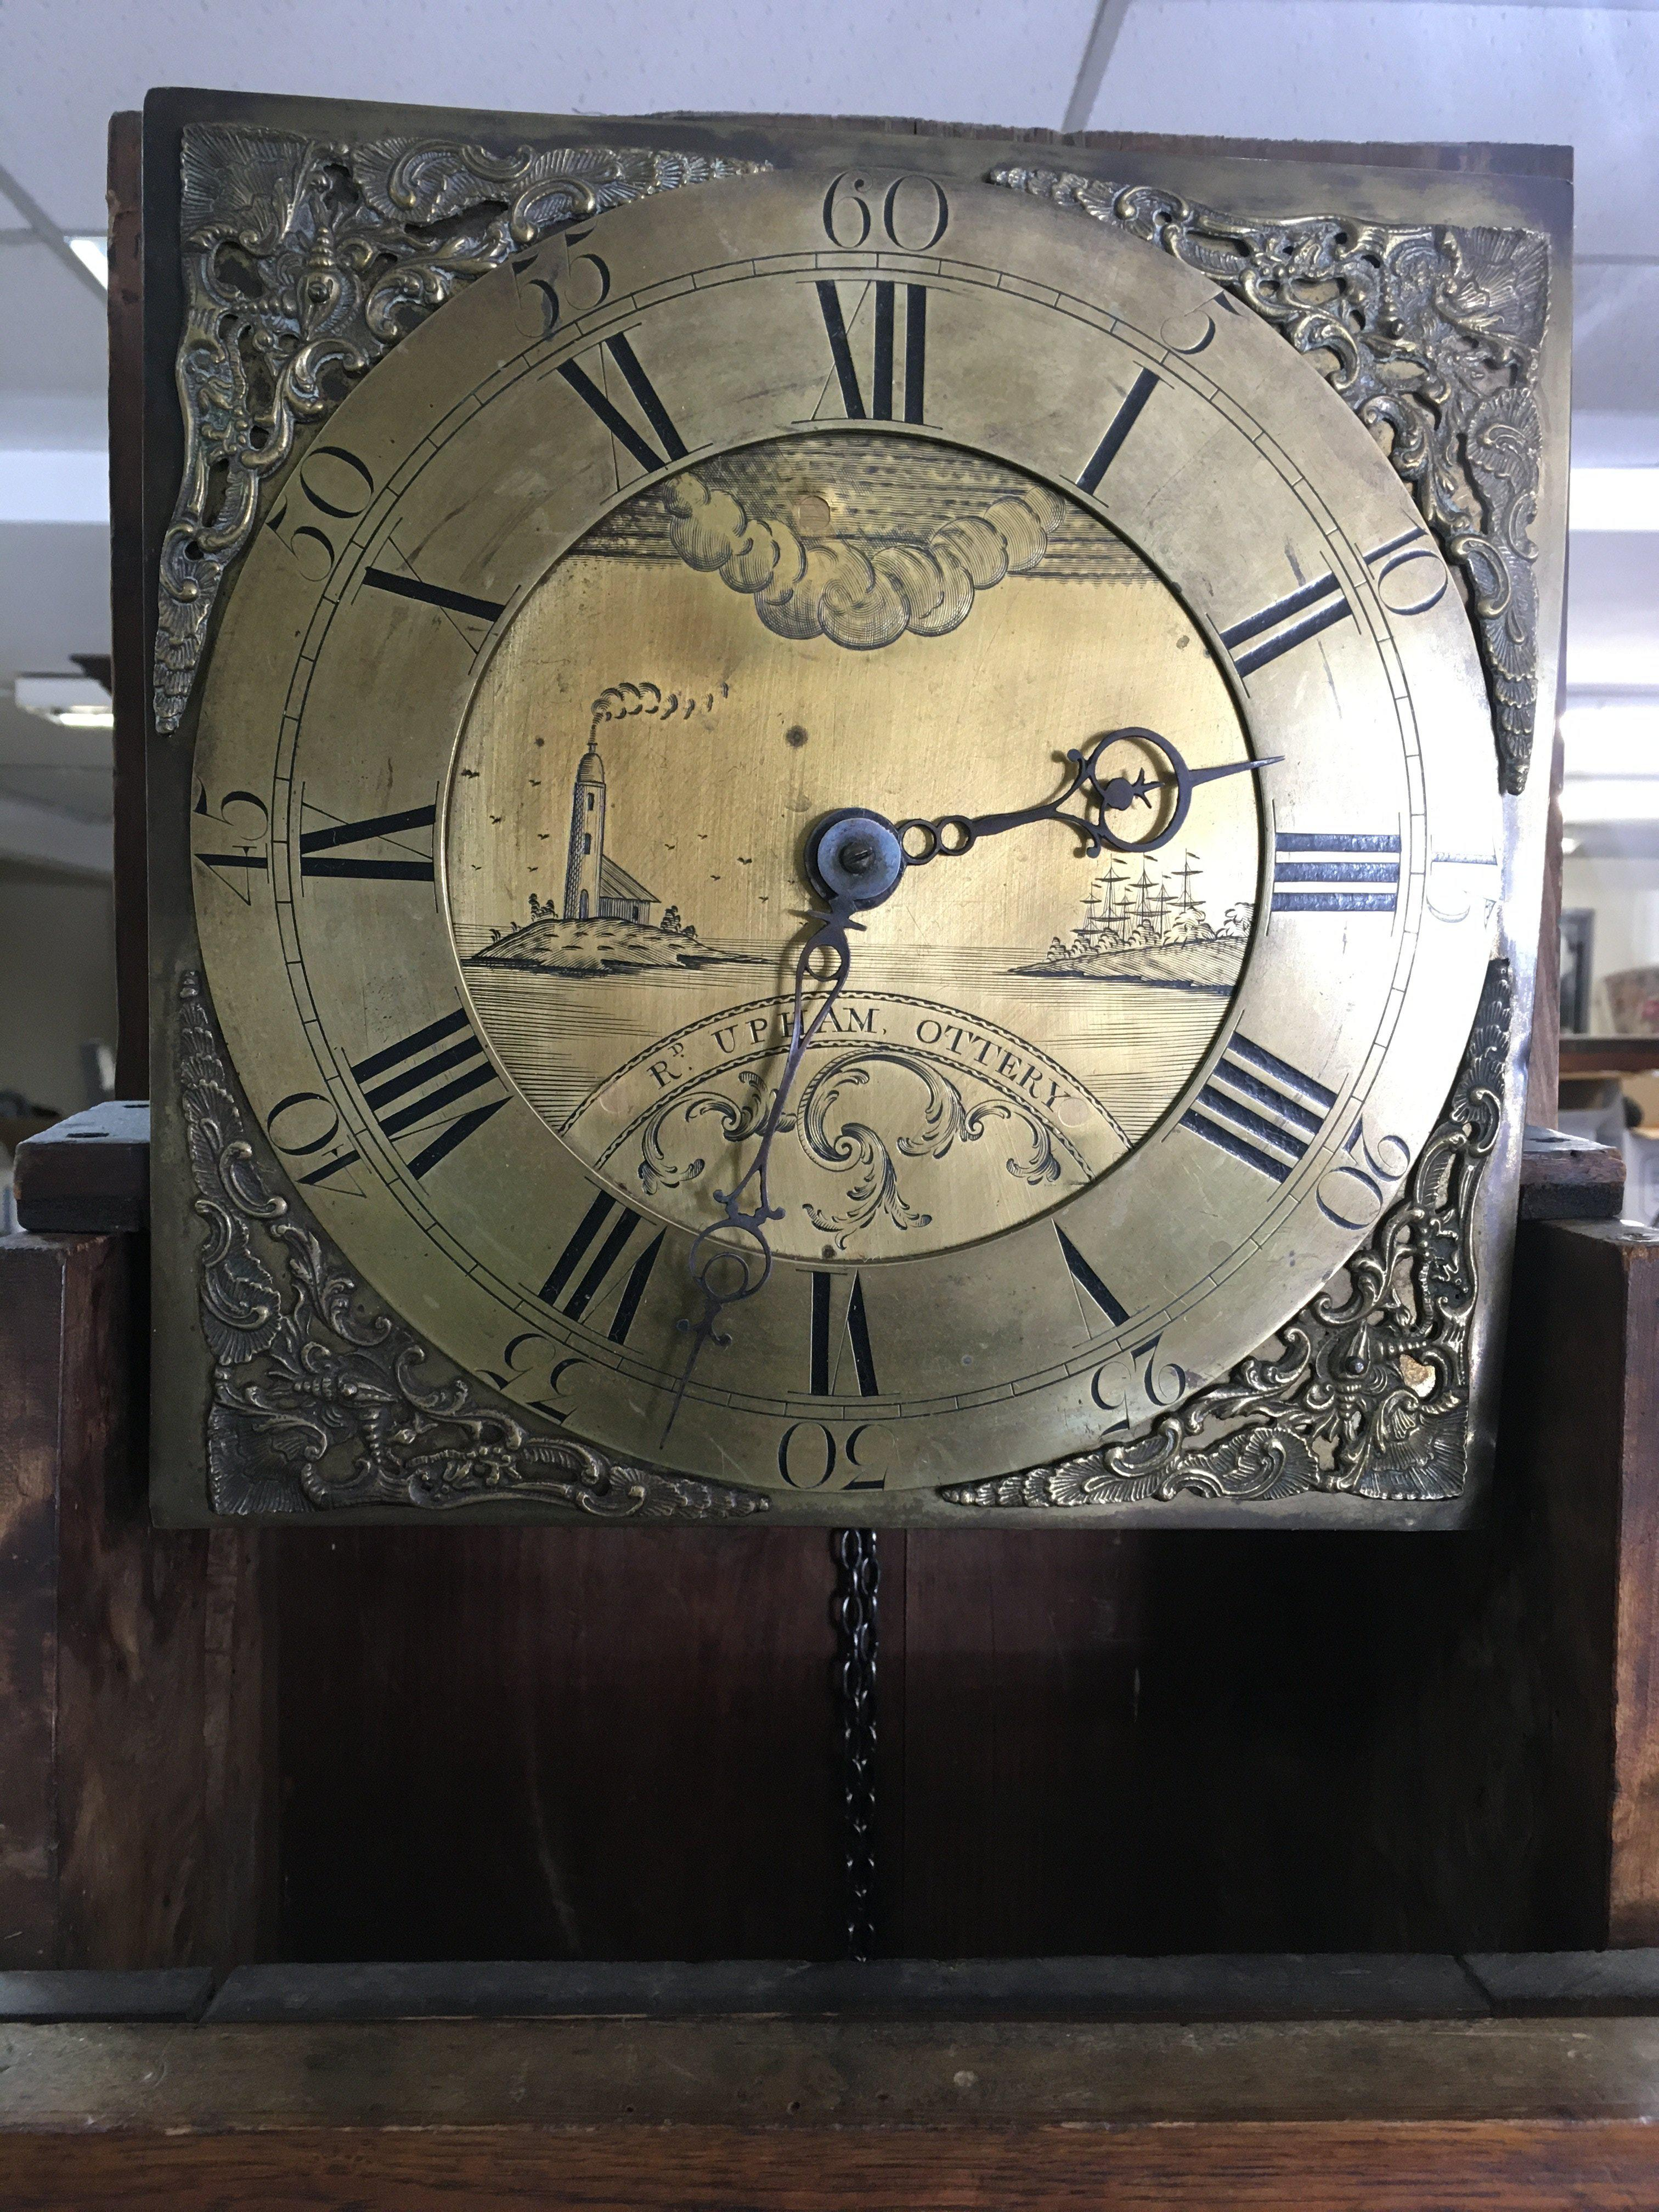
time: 2:32
